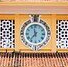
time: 11:36
